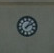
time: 2:06
